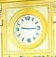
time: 9:14
